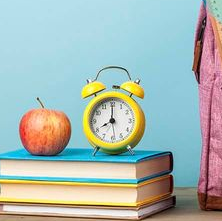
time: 8:00
